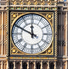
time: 11:49
